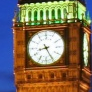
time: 8:25
